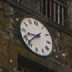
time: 8:37
